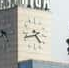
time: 4:42
